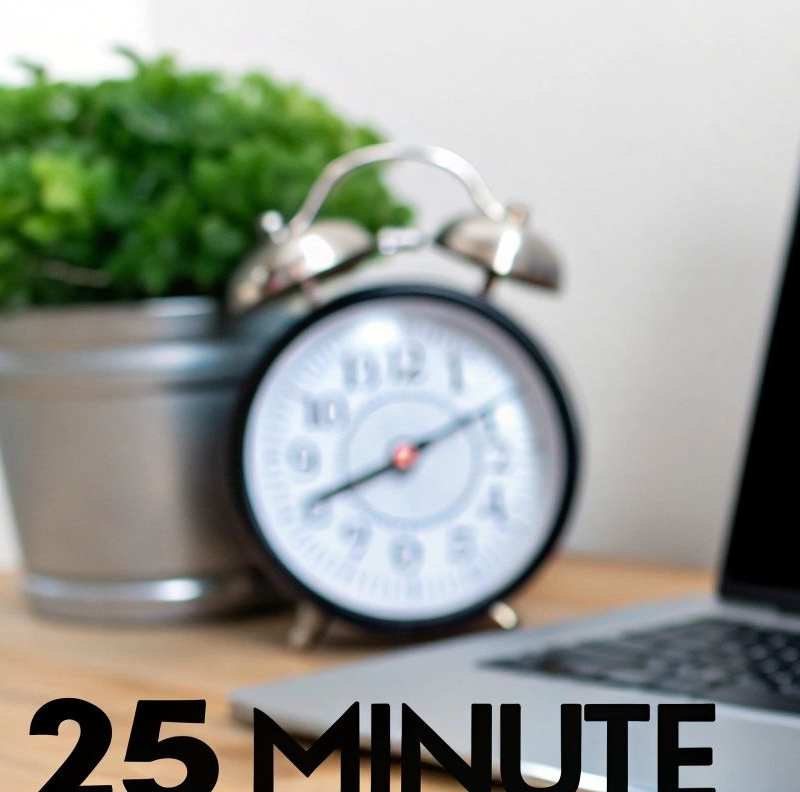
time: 8:10
